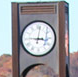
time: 3:01
